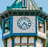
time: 4:36
